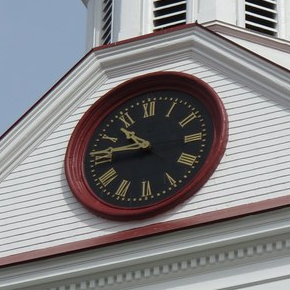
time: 10:46
